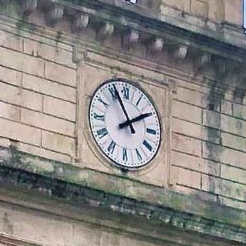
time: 1:56
